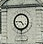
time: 4:45
